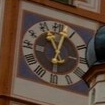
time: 11:02
